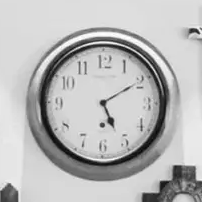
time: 5:09
